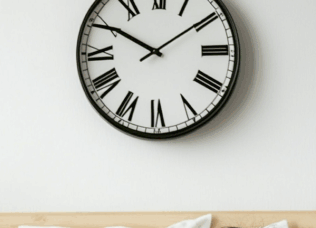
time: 10:09
